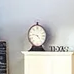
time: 4:46
